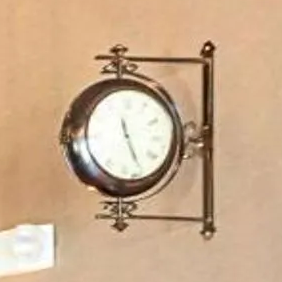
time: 11:25
